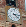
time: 3:22
